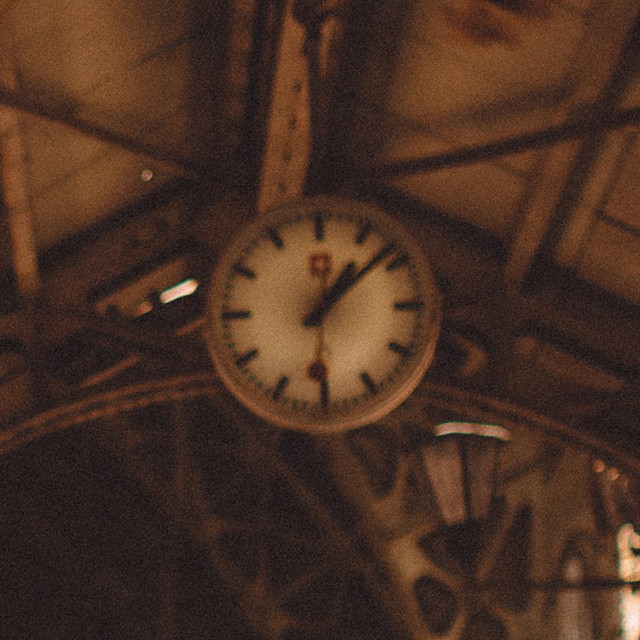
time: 1:08
